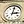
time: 3:02
